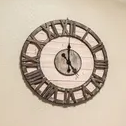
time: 5:00
